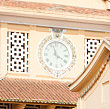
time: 3:58
